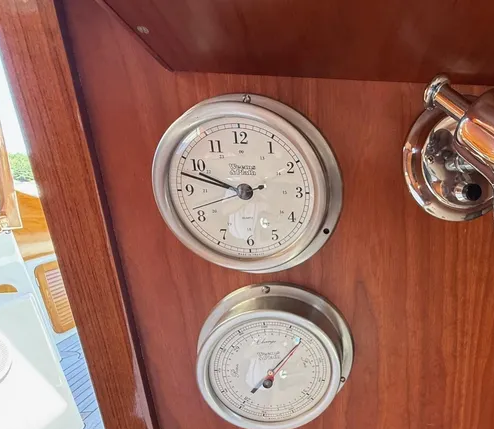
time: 9:47
